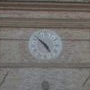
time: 4:52
